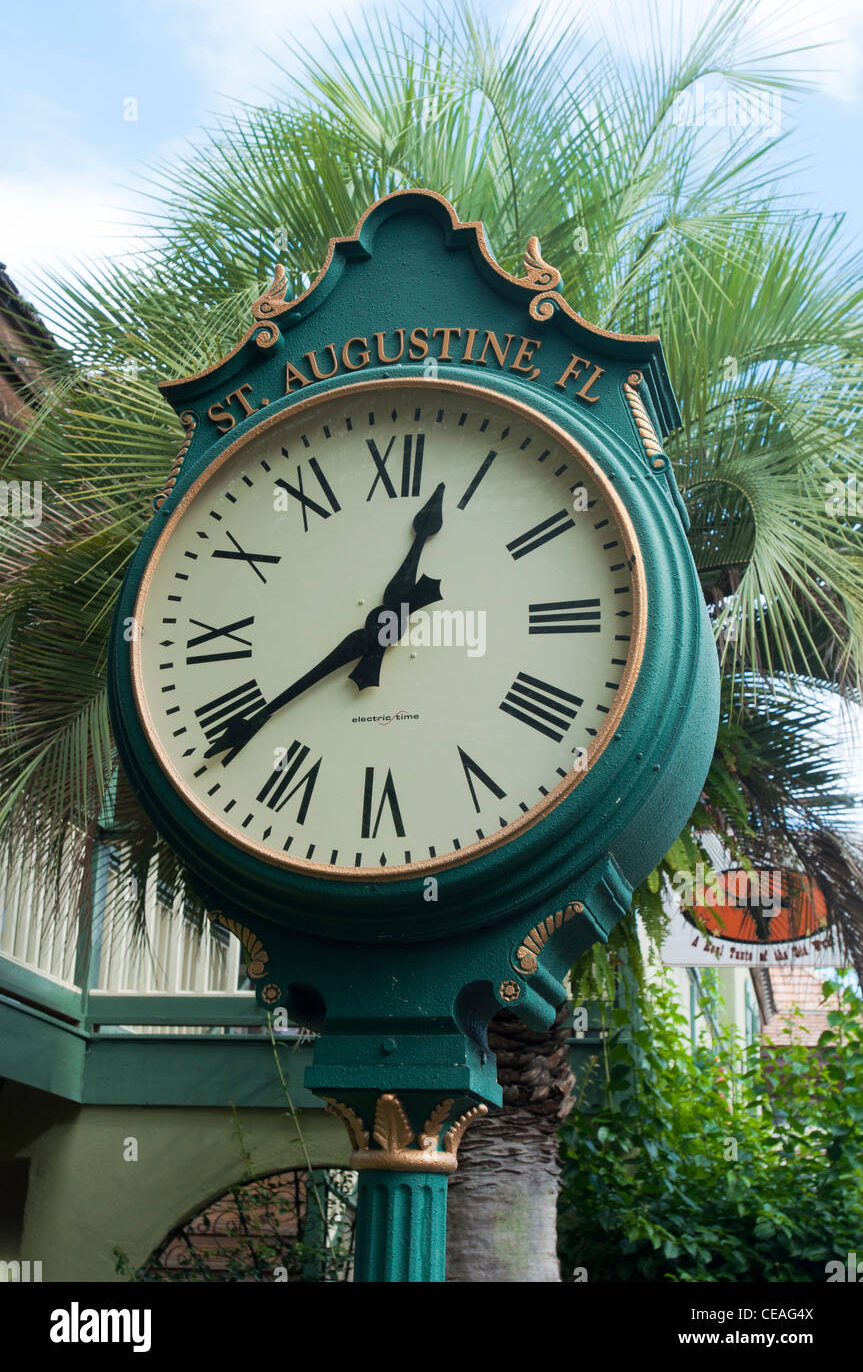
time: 12:38
